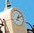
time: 7:11
